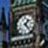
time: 1:23
